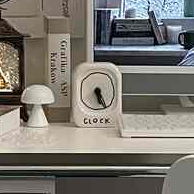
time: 5:24
